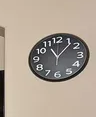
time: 11:07
